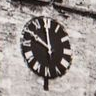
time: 9:59
